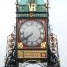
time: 7:39
